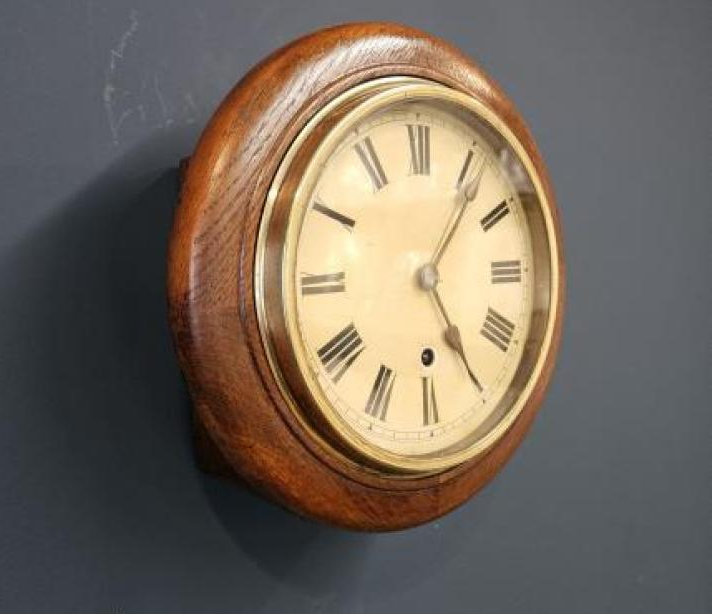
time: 5:06
